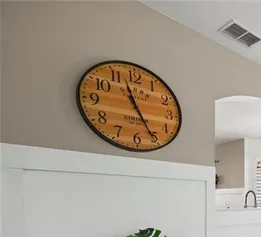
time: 11:25
